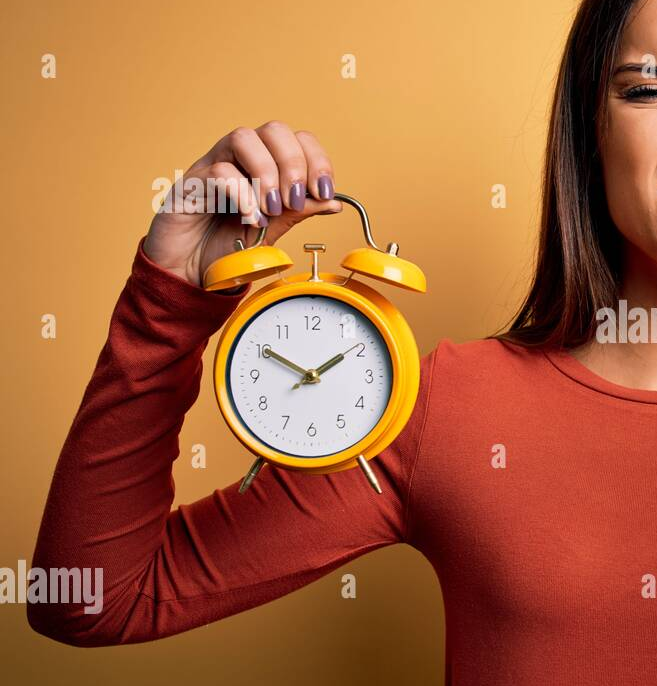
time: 1:50
